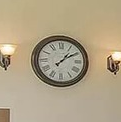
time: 1:09
